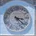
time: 3:22
